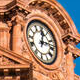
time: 12:12
